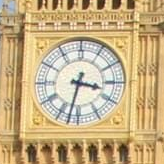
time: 3:32
